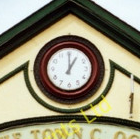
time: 1:00
